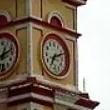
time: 7:11
